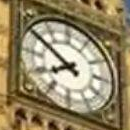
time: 7:50
